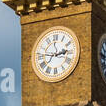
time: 2:46
